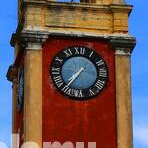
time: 7:36
